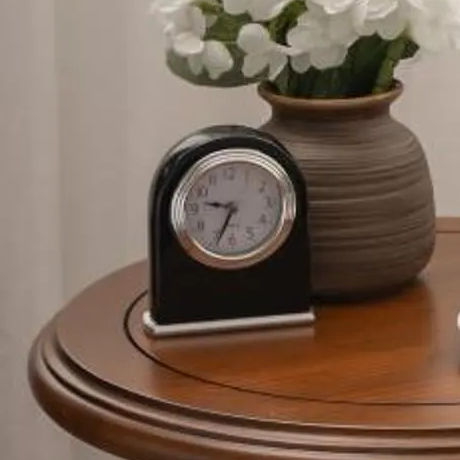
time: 9:34
